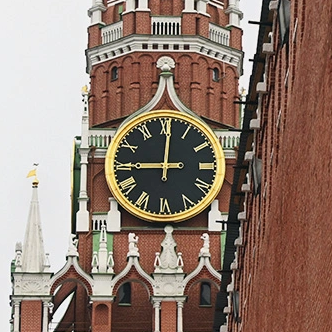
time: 9:00
